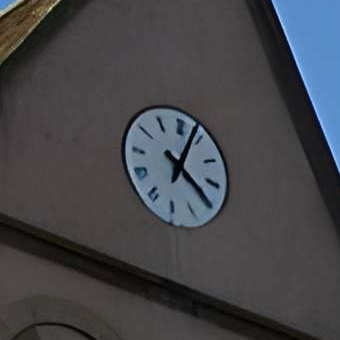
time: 4:03
